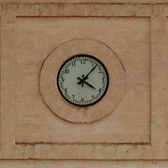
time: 4:07
